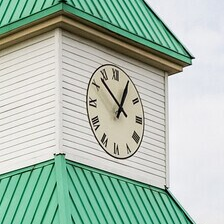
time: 12:52
